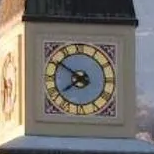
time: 7:50
